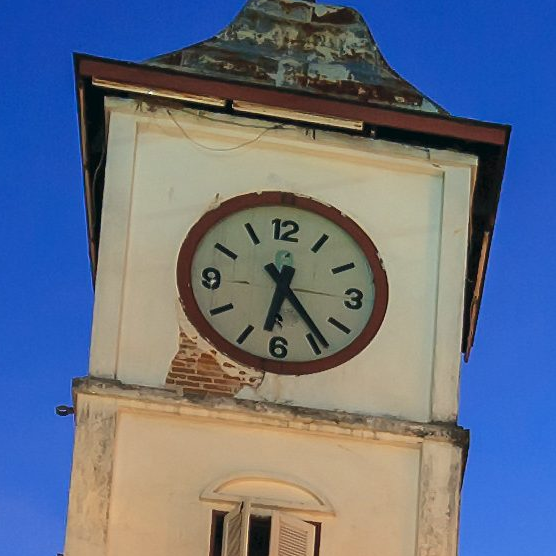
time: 6:23
